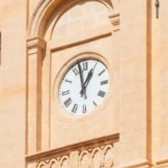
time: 12:57
